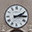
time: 2:14
